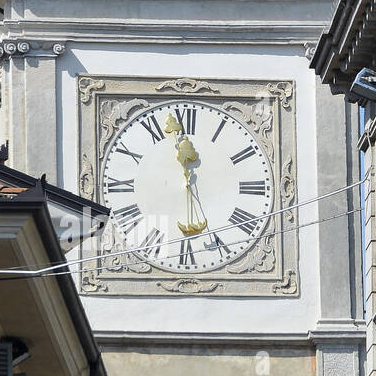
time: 11:58
